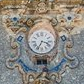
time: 3:34
